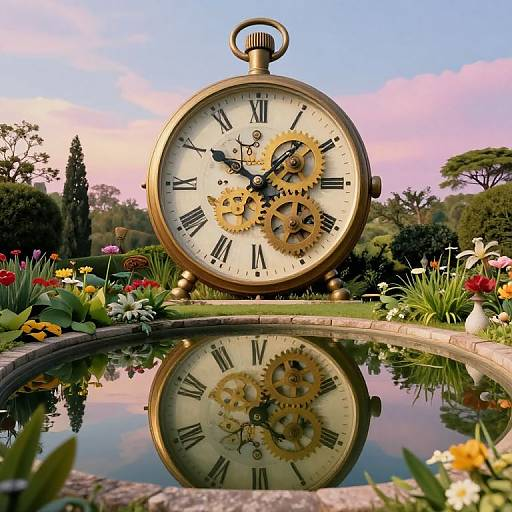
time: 10:07
